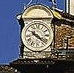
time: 10:21
